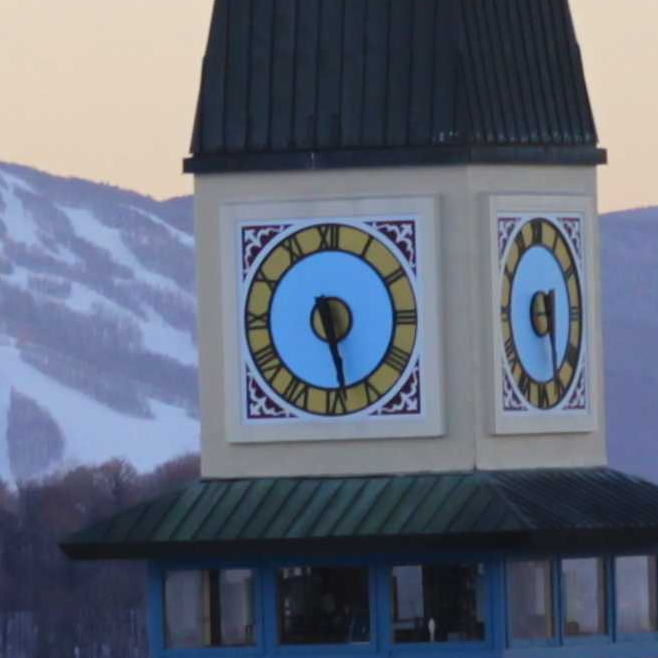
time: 5:28
